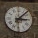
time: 3:07
